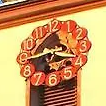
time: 3:44
